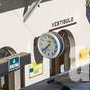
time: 7:37
